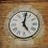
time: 5:01
